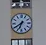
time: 6:39
